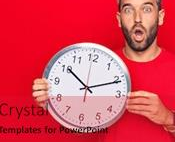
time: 10:11
